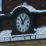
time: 11:07
